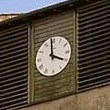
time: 3:59
